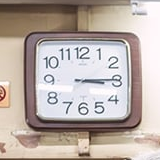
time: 3:14
